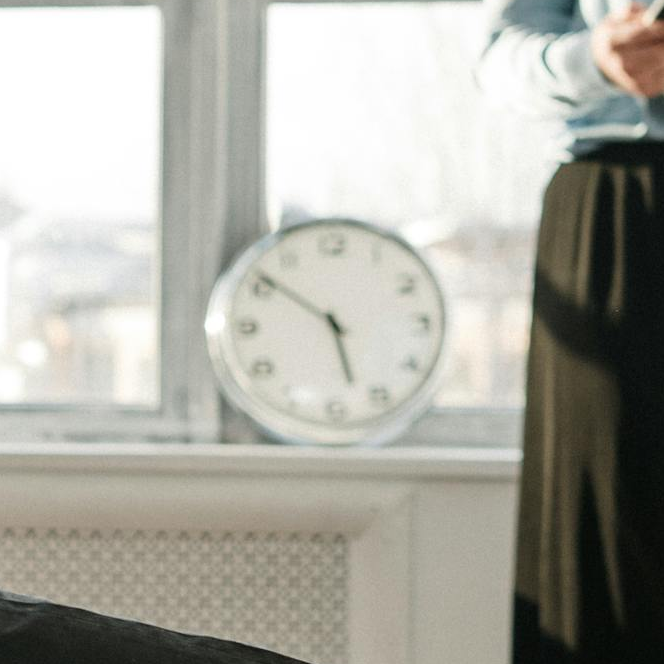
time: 5:51
